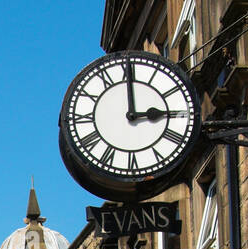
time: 2:59
